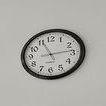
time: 11:13
